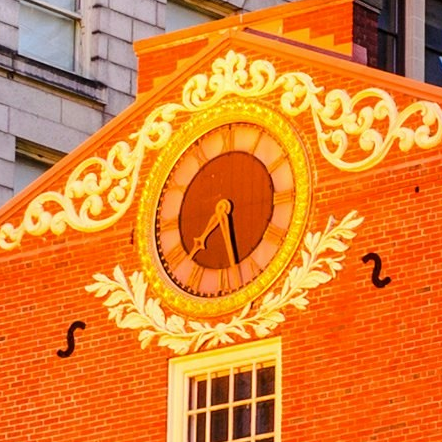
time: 7:27
